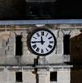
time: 11:44
